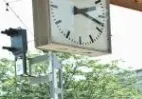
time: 2:18
